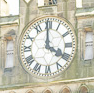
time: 3:59
